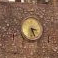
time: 3:26
